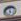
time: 11:32
